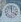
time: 4:00
